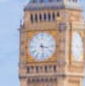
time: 3:28
